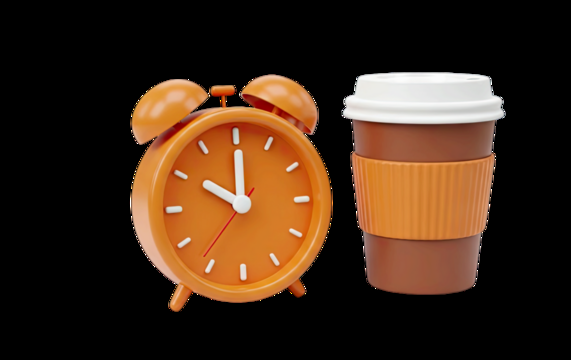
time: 10:00
